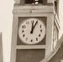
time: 12:04
